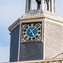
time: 1:24
